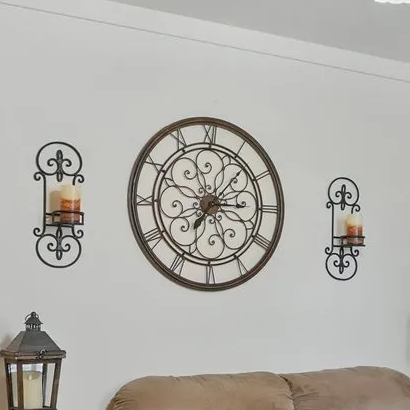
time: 7:15
